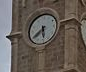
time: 5:38
